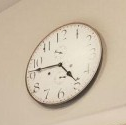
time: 4:46
